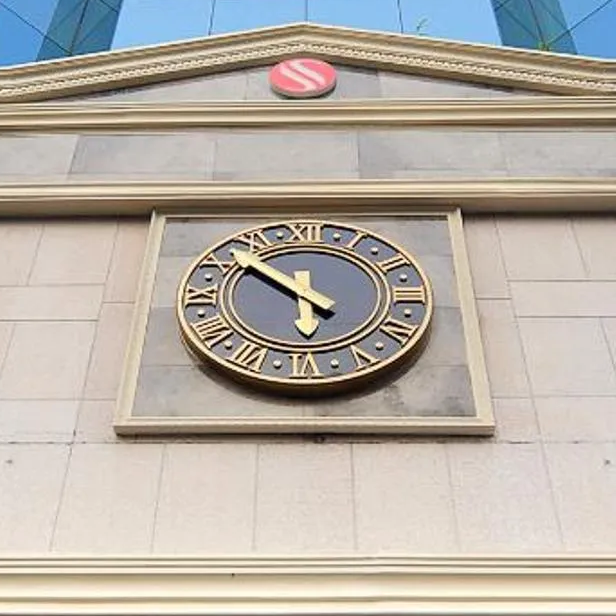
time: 5:51
